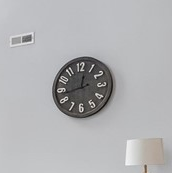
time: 12:43
